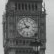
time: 10:42
